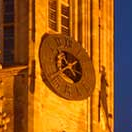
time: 4:40
